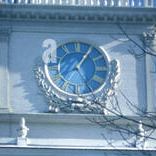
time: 5:05
